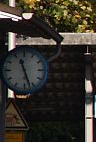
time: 11:26
